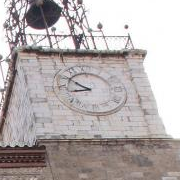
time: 8:51
